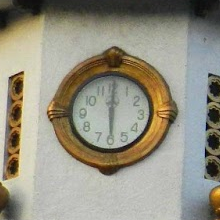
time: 6:00
